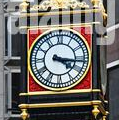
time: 4:16
